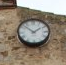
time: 1:52
